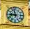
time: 8:57
